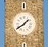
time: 1:39
